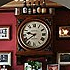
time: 9:38
